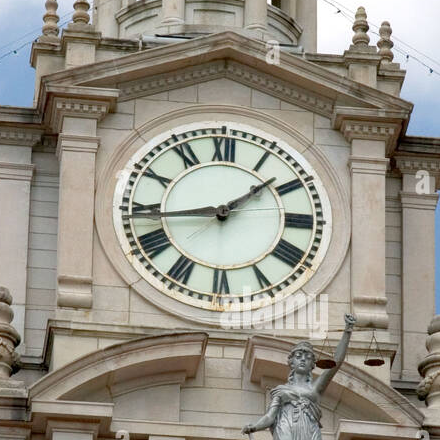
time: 1:43
